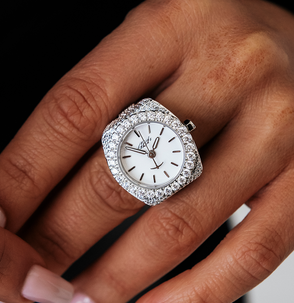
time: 12:48
